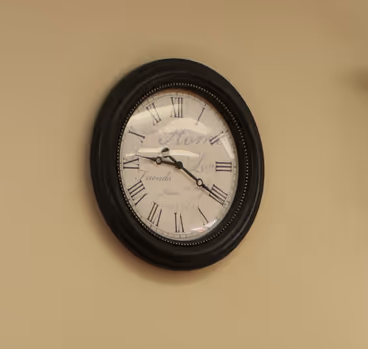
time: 9:20
